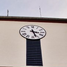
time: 3:26
